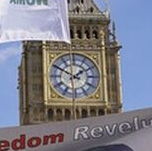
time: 1:50
